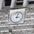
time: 3:02
